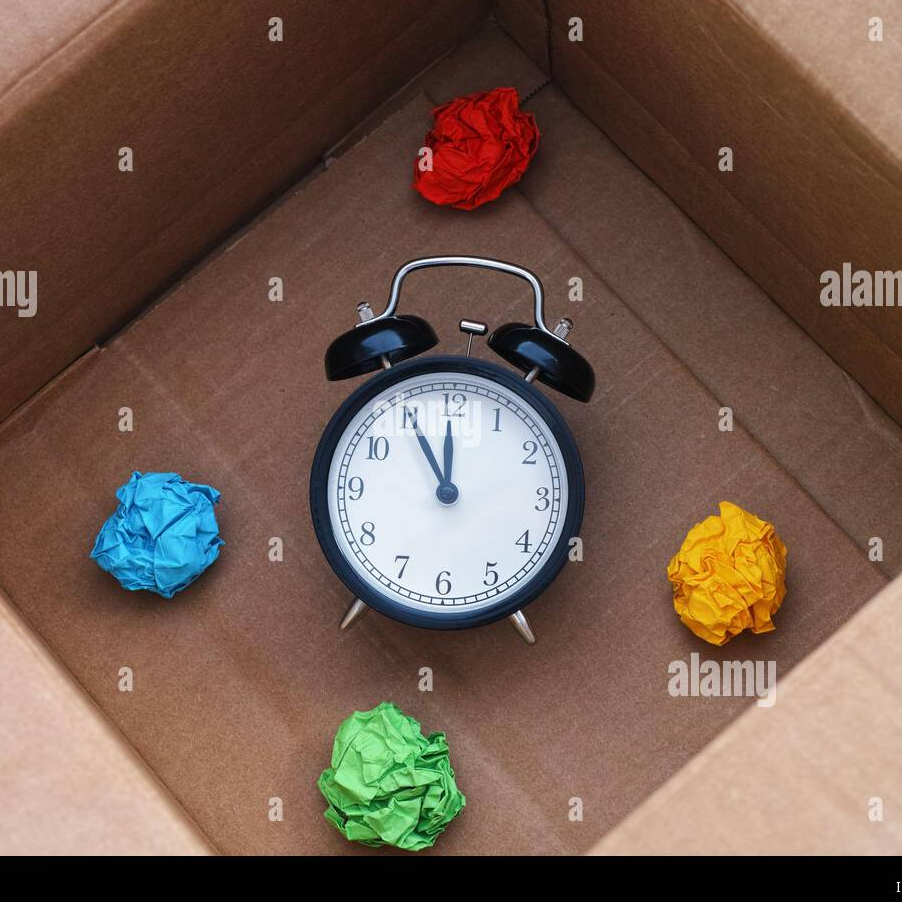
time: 11:00
